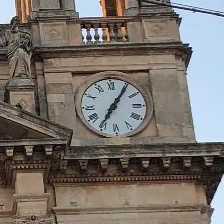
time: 7:05
